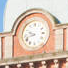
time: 9:42
